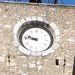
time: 9:45
